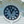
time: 12:56
